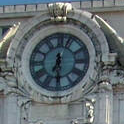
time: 6:29
